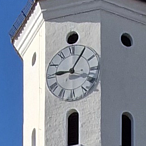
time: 9:05
